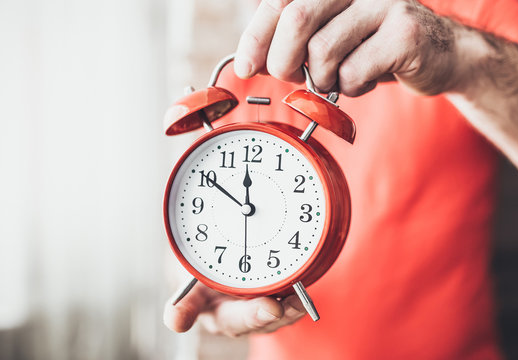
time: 11:50
